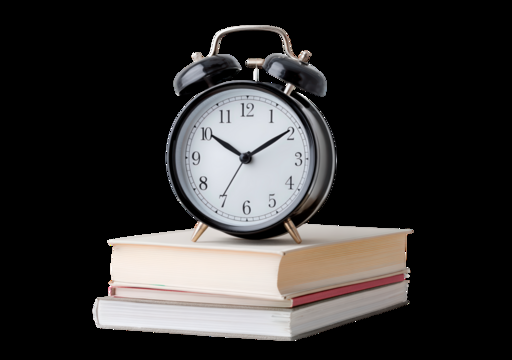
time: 10:09
